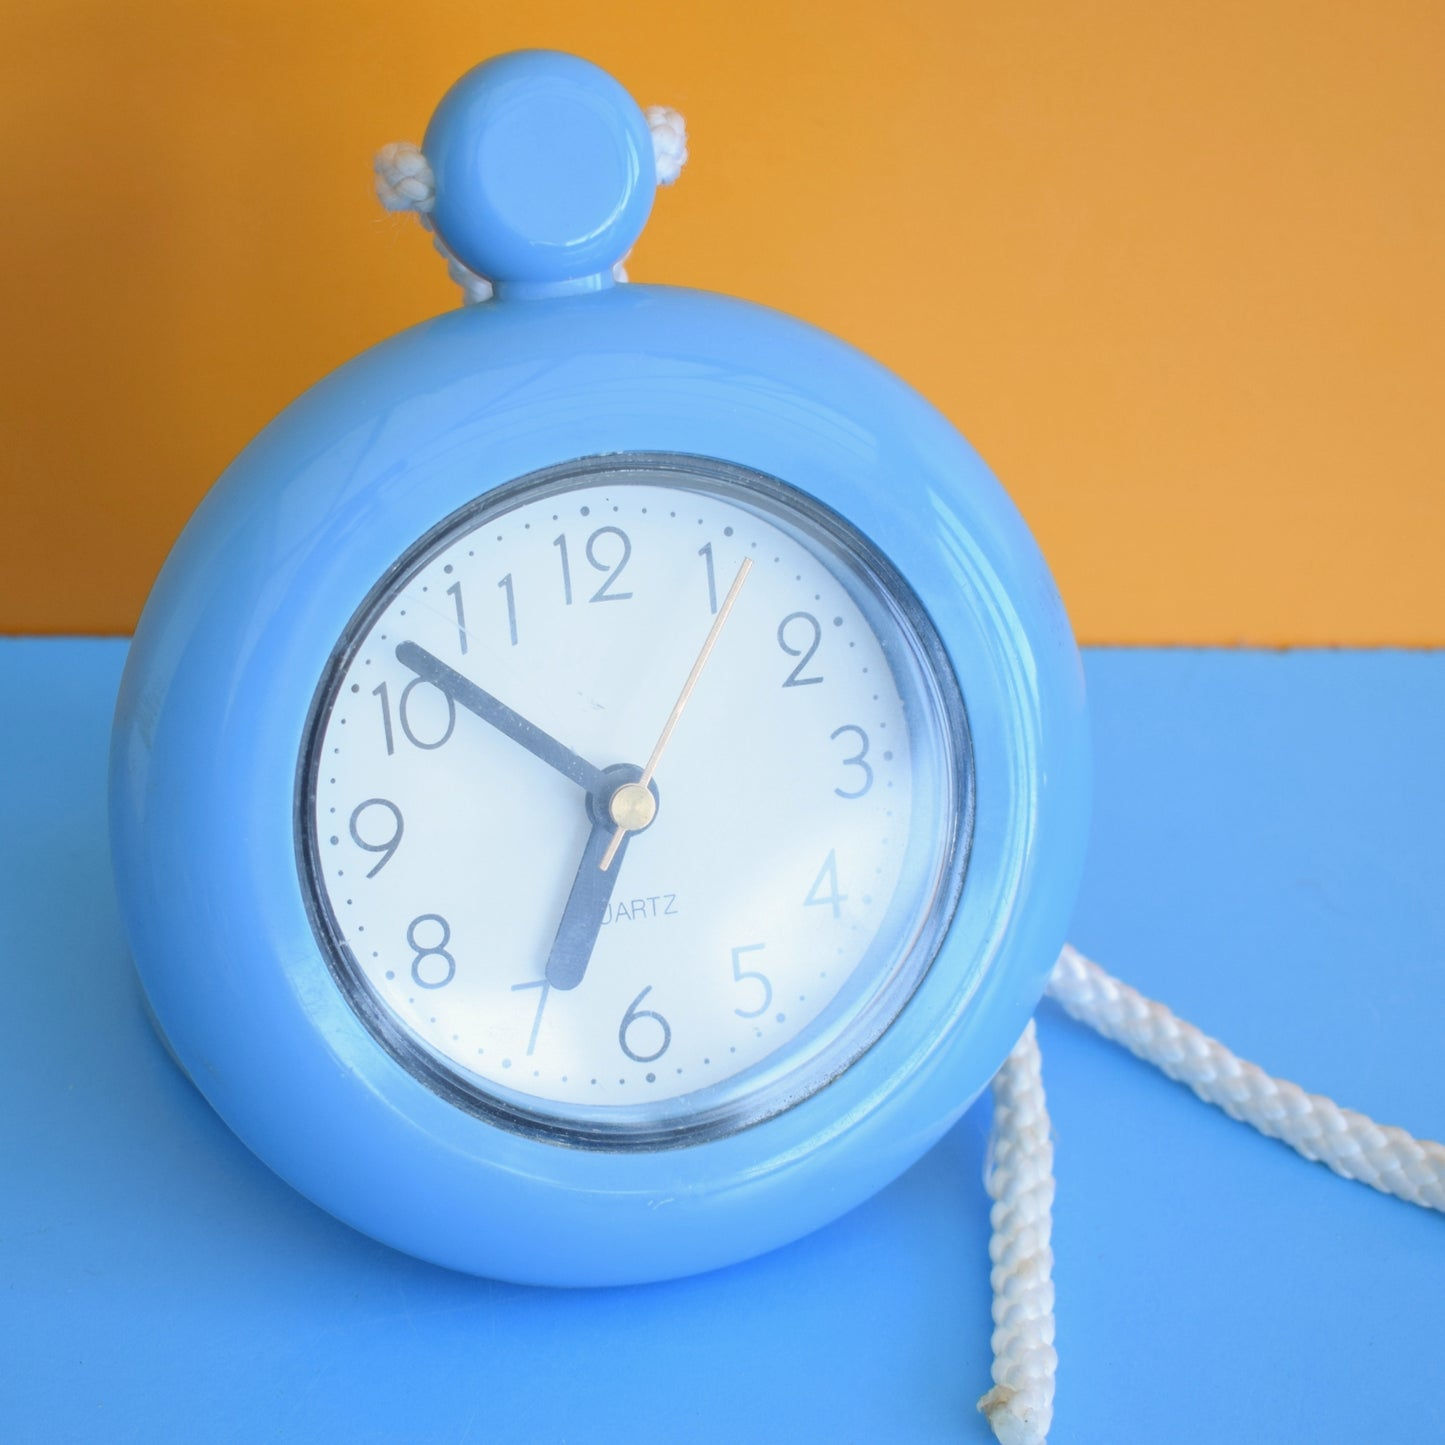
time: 6:51
